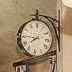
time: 7:45
